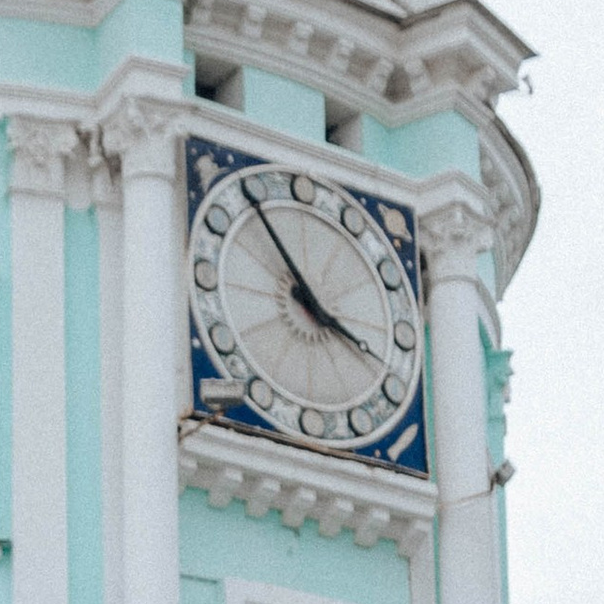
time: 3:54
